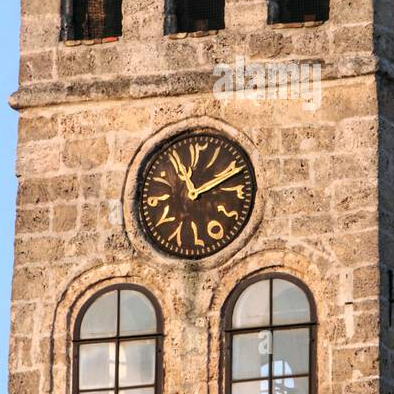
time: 11:10
